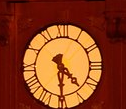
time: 4:29
